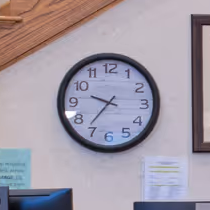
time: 9:36
